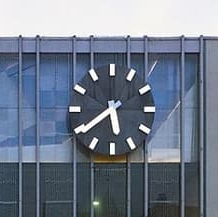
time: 5:39
